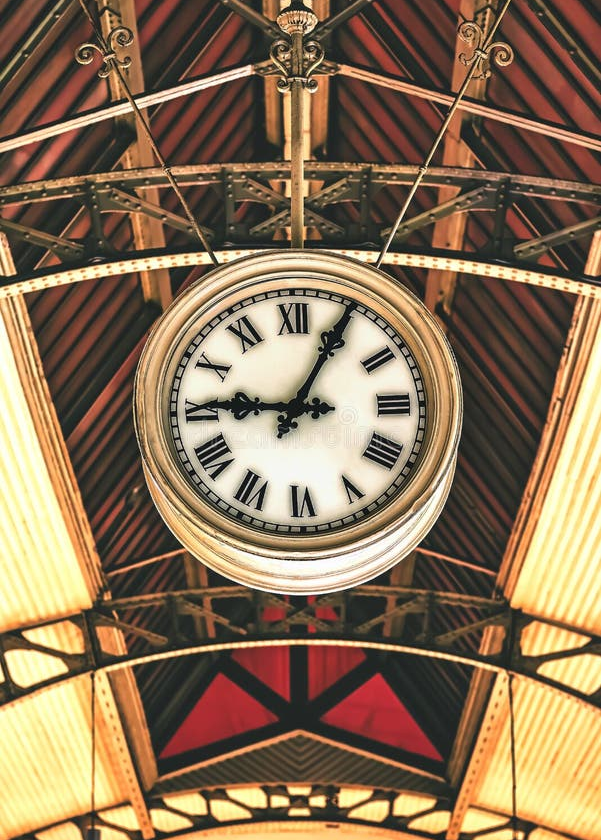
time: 9:04
